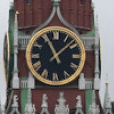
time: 11:08
